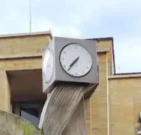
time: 7:36
